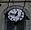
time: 12:47
